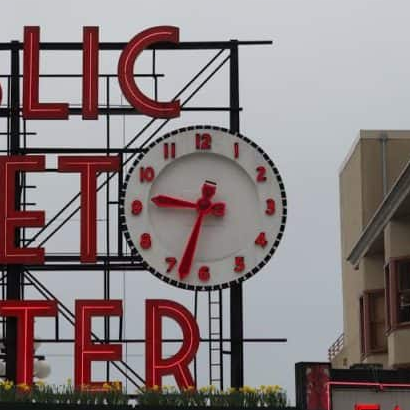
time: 9:33
